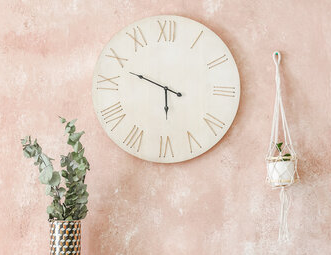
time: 5:48
